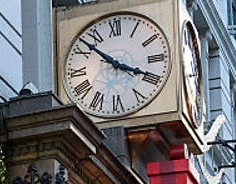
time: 3:52
